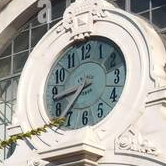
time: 8:36
